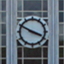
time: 3:49
